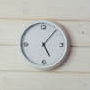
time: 5:06
